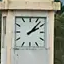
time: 2:07
